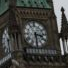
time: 3:30
